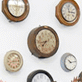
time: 7:42
